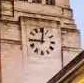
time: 9:01
